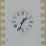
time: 1:33
